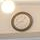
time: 8:07
